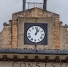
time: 1:01
